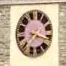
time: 7:16
